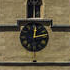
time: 12:13
